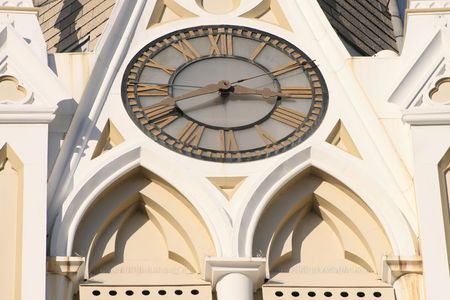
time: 8:16
